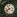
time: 7:52
